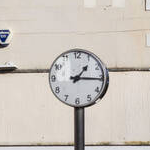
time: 1:15
